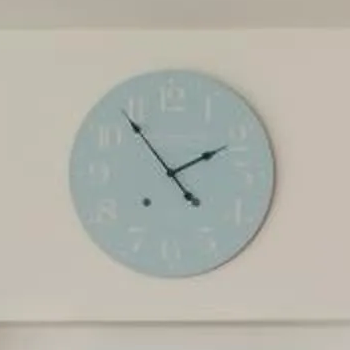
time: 1:53
